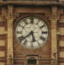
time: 5:38
